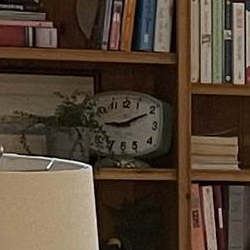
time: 9:10
